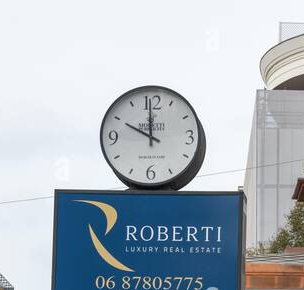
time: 9:59
